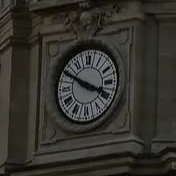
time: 3:49
